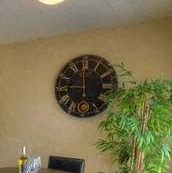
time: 8:59
